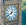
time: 12:40
